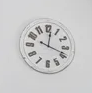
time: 12:18
